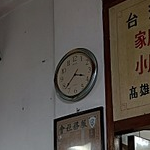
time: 3:37
